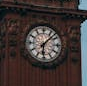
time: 6:07
